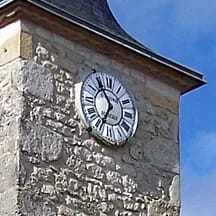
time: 6:54
